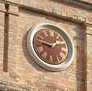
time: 1:46
